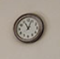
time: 11:03
